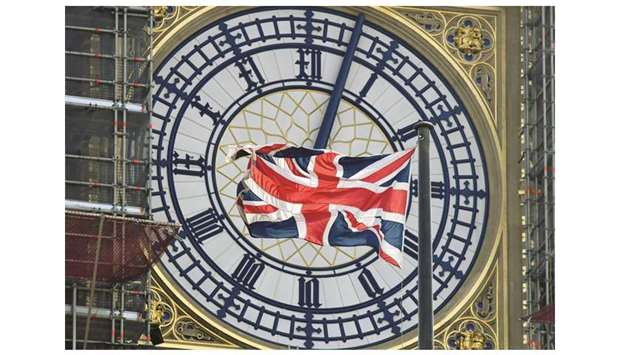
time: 9:02
